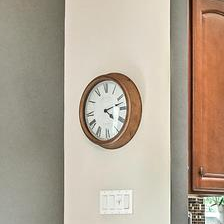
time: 4:12
